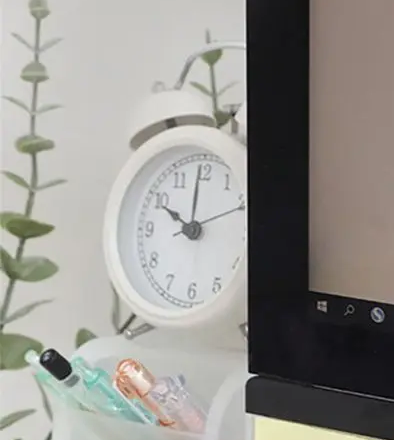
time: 10:00
